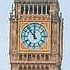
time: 11:53
